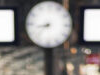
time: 8:37
